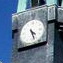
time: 4:26
